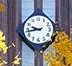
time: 9:43
